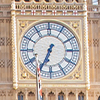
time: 6:34
